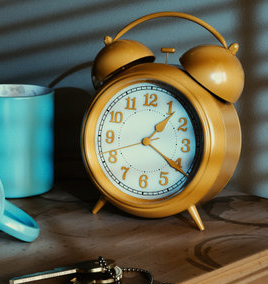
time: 1:21
